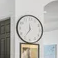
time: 11:35
